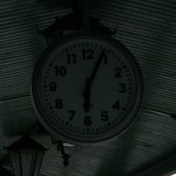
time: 6:03
